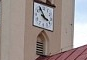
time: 3:54
